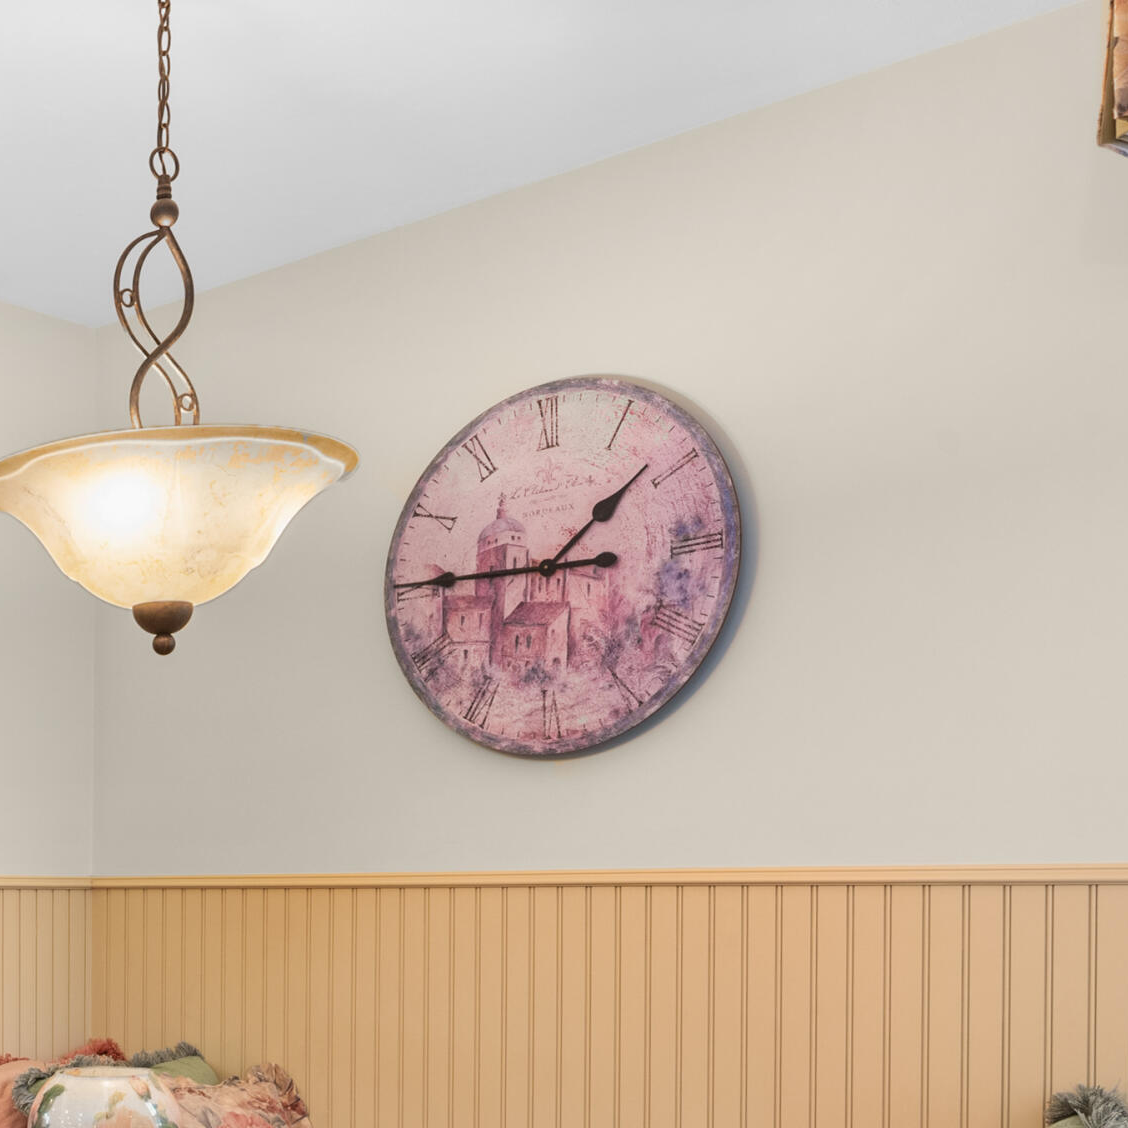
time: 1:45
